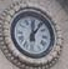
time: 12:06
